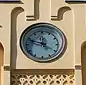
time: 11:48
